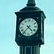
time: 4:36
